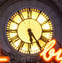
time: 5:23
